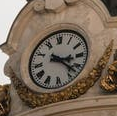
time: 3:22
